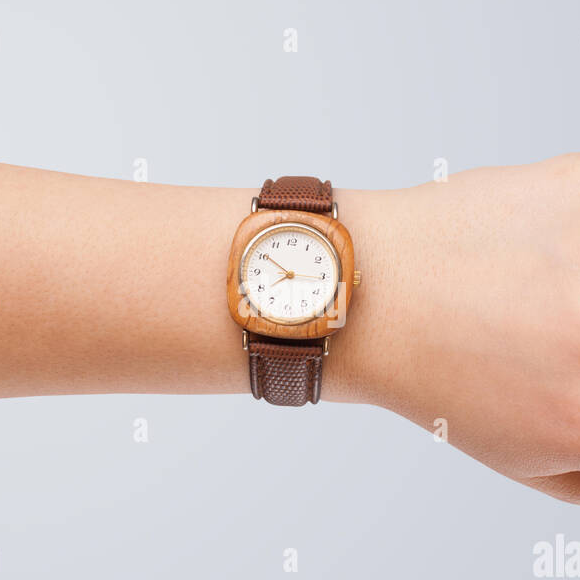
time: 10:14
